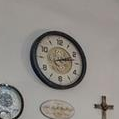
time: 2:12
